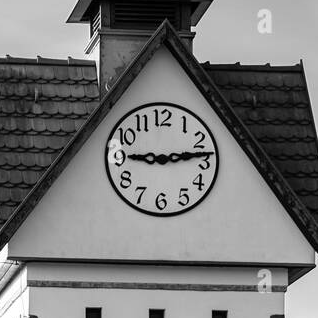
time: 9:13
